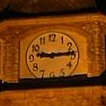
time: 9:14
